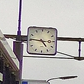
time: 4:46
